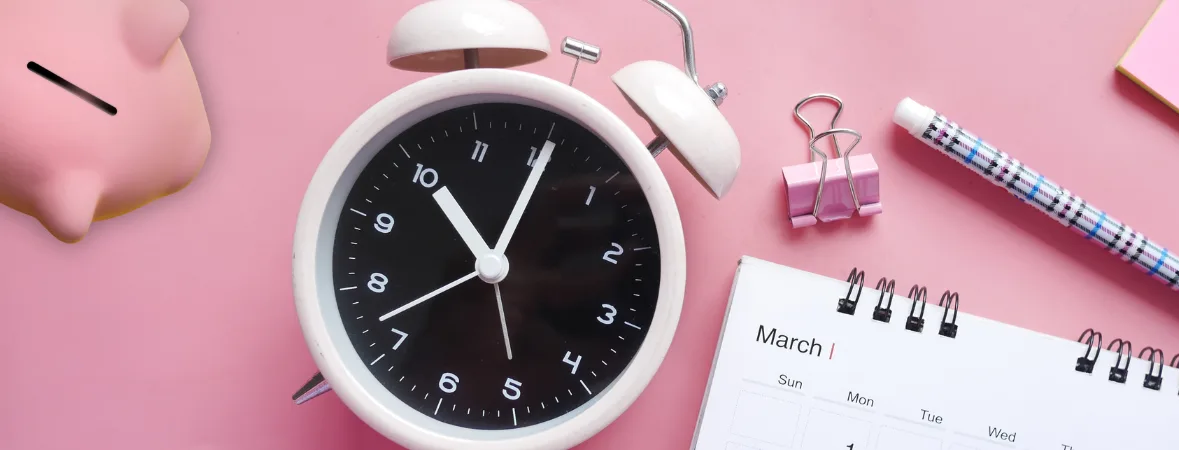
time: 11:05
